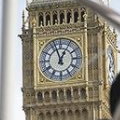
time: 12:57
